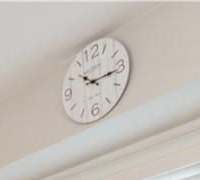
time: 10:15
